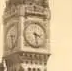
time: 3:28
